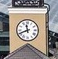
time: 11:41
